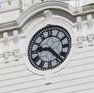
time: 9:22
